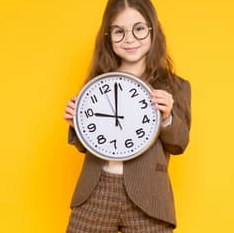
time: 10:03
